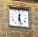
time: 12:27
